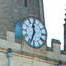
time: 11:33
